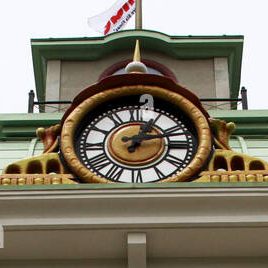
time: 1:13
